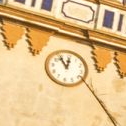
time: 11:53
